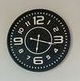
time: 6:17
